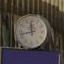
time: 11:42
